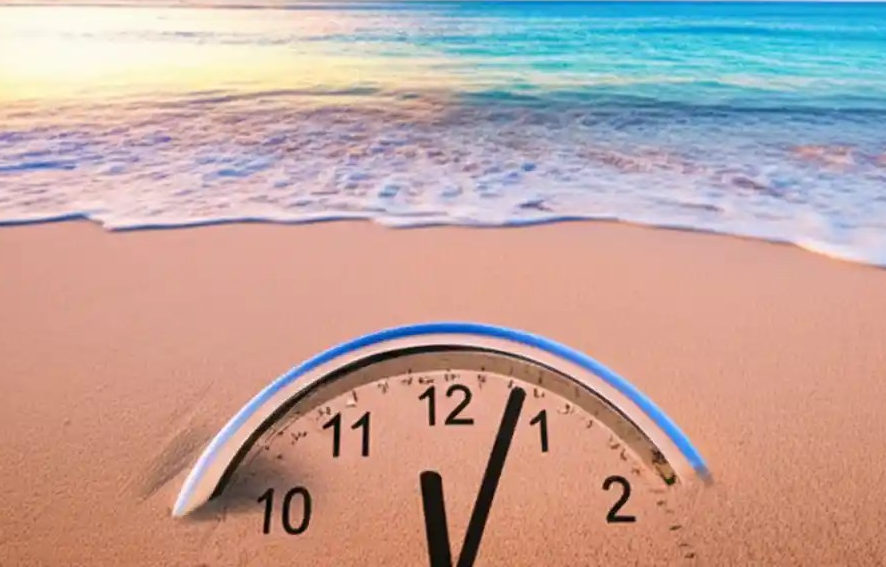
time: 12:03
